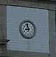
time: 8:57
